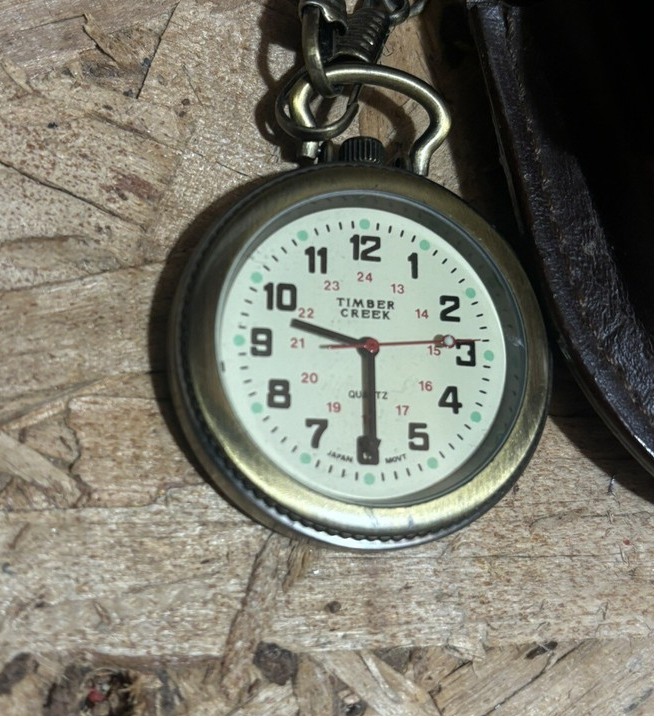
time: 9:29
